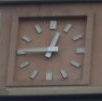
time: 12:45
